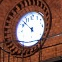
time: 5:52
